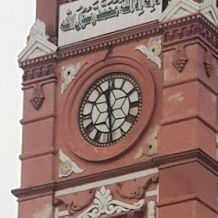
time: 11:29
